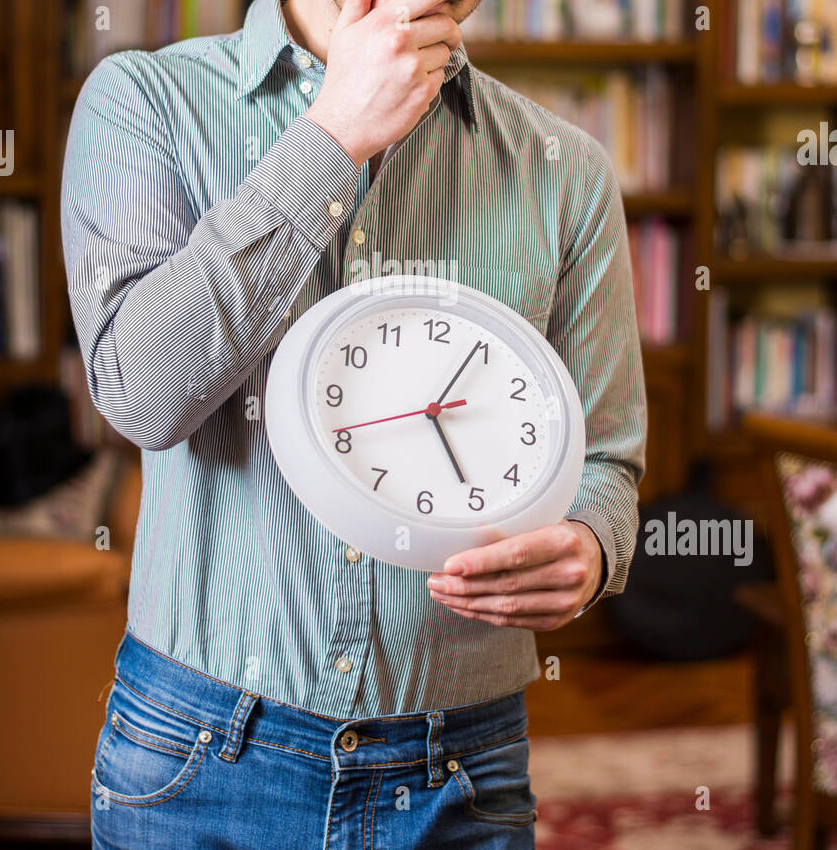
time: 5:04
